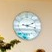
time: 2:18
